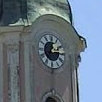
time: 12:14
